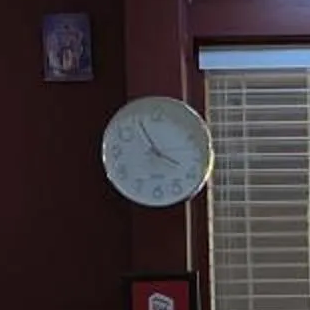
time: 3:55
